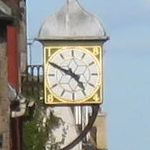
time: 4:49
